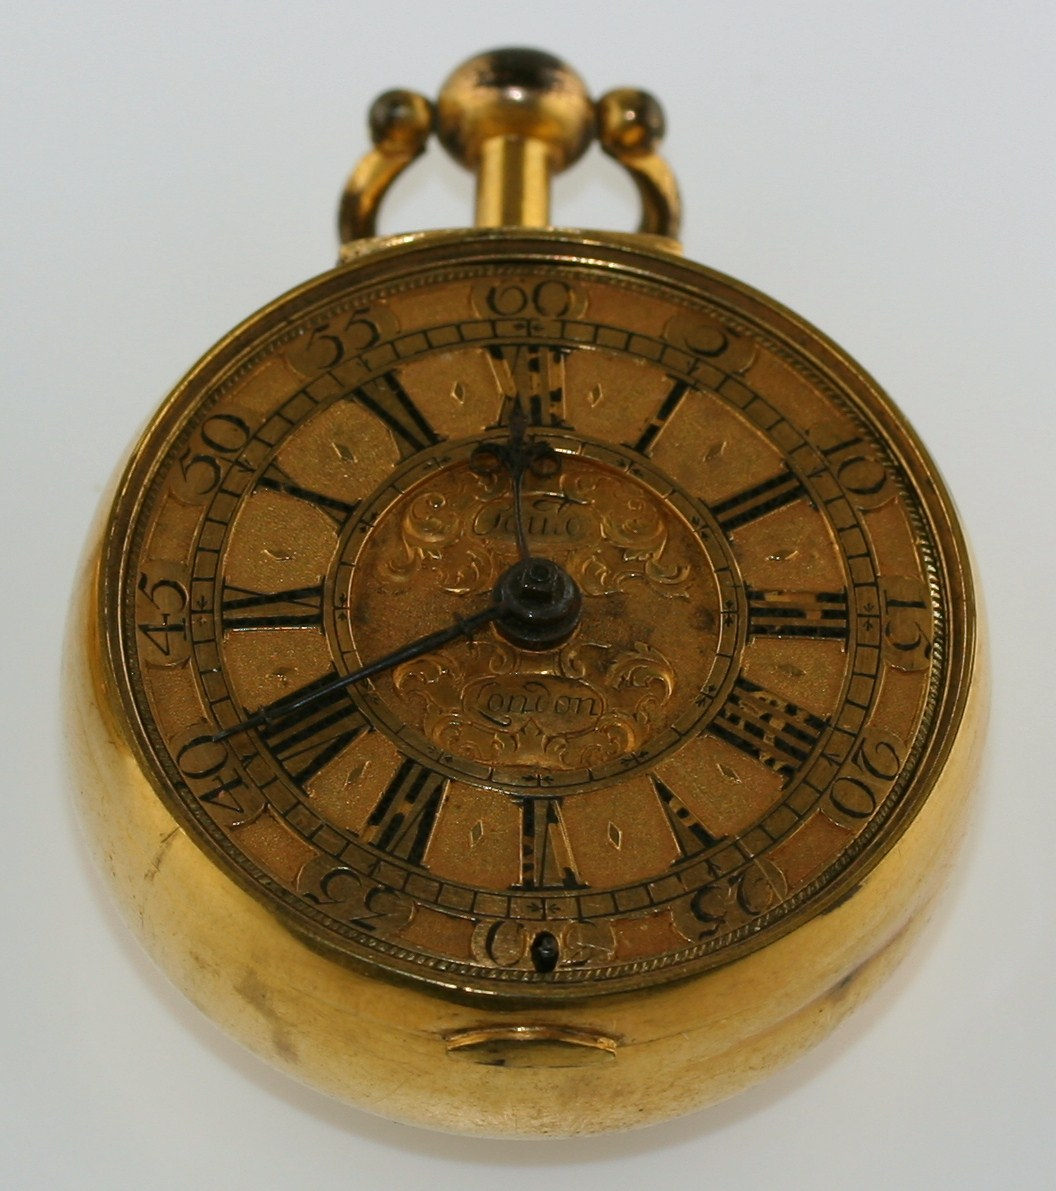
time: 11:40
